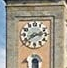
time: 2:38
